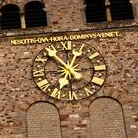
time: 12:52
